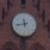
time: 11:43
